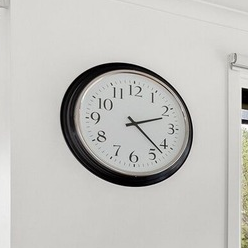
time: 2:22
